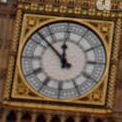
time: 11:52
